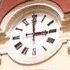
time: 2:59
